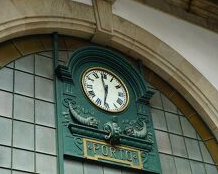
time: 11:32
